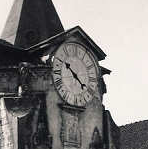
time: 10:21
